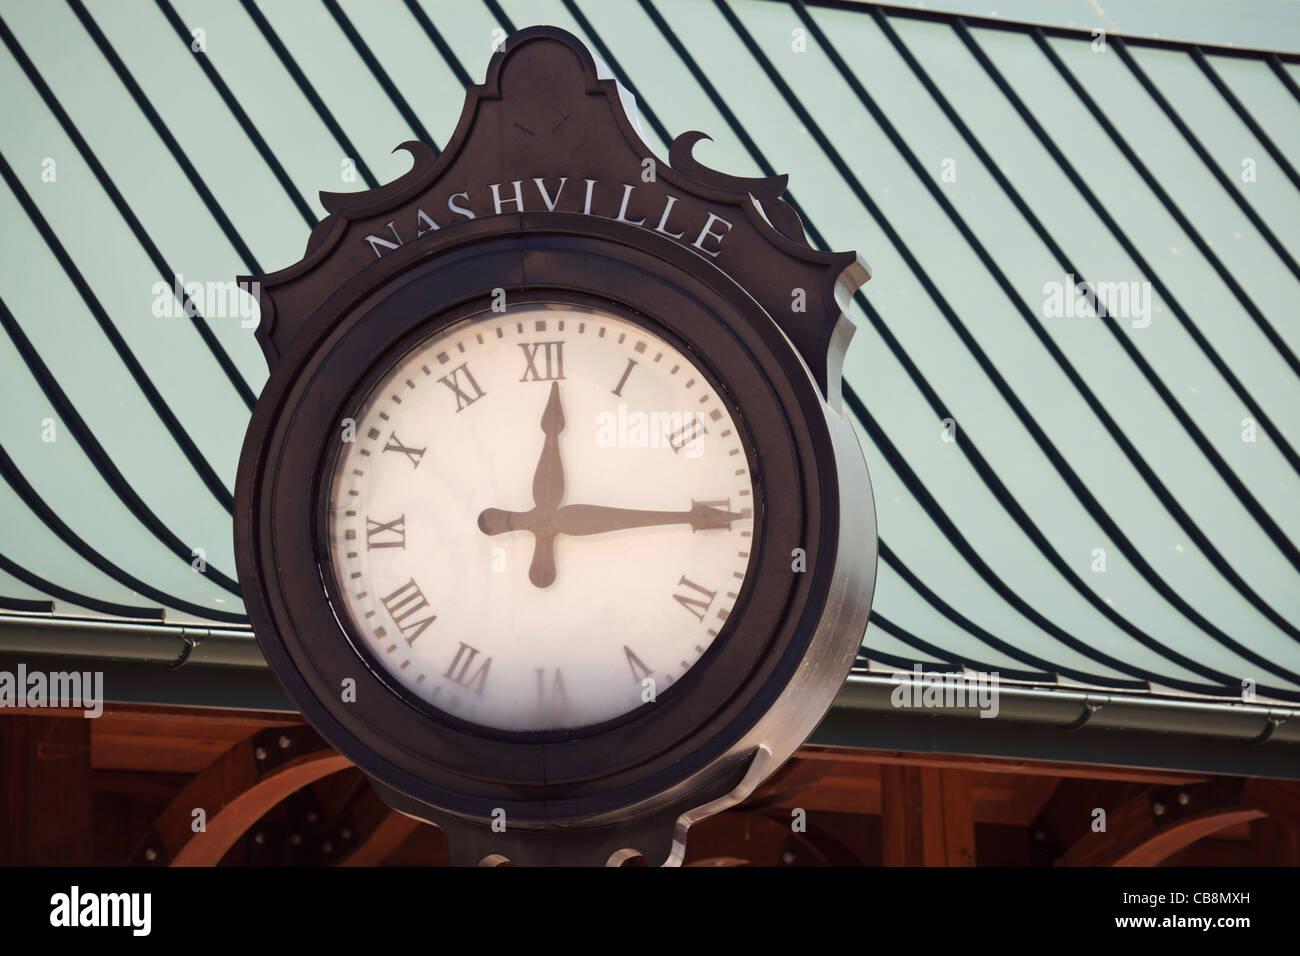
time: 12:15
